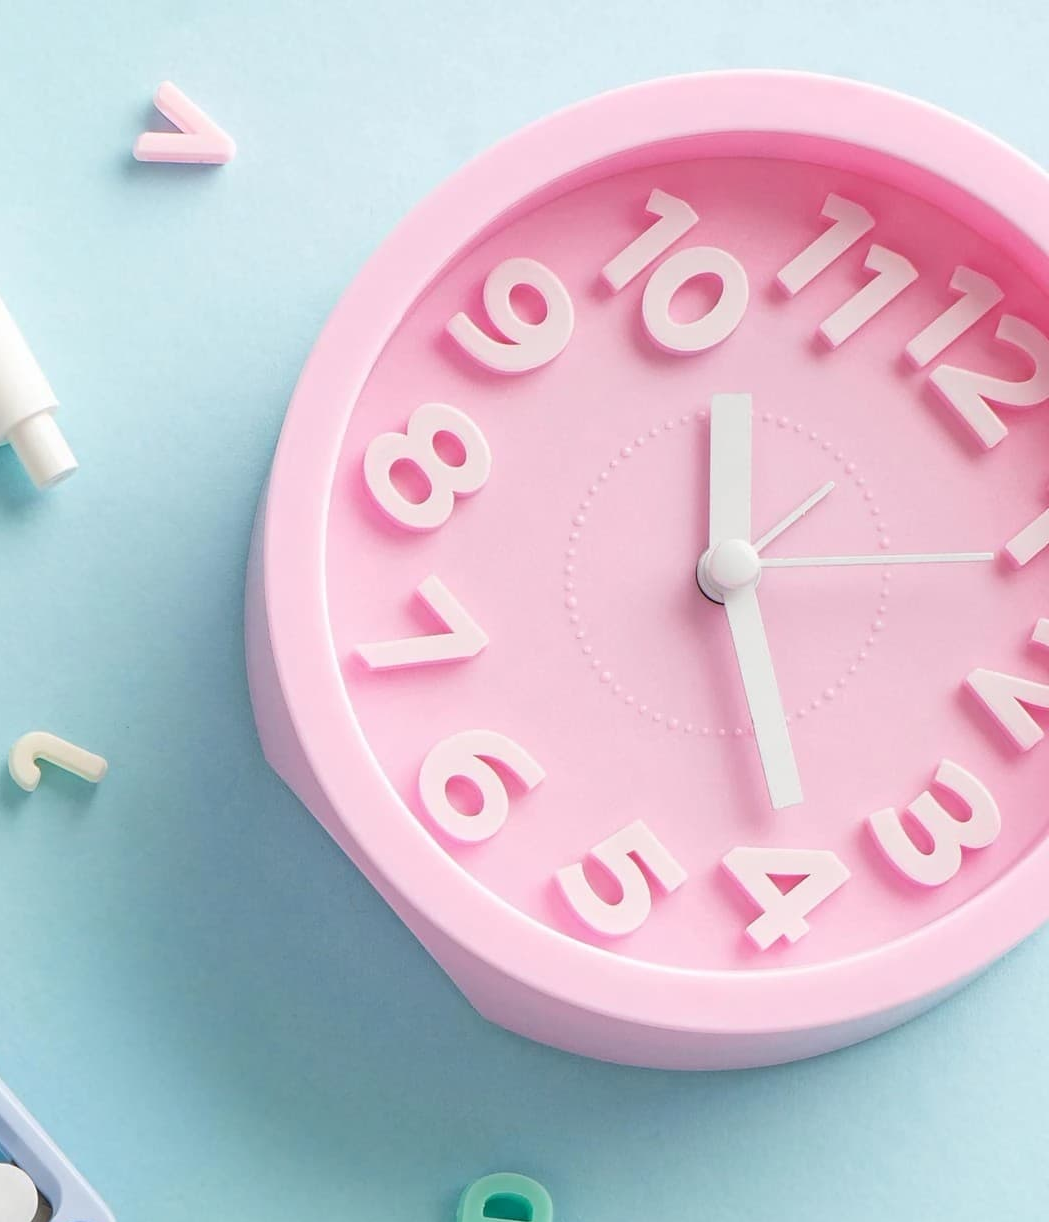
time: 12:29
